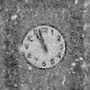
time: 10:57
